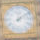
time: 12:09
